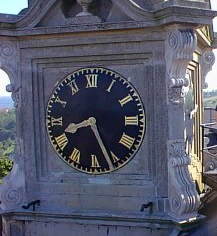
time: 8:26
